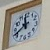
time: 11:40
